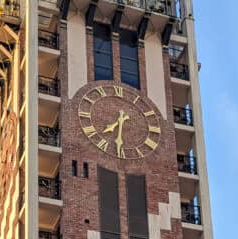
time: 7:31
